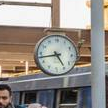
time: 4:43
